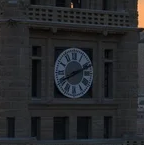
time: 8:11
